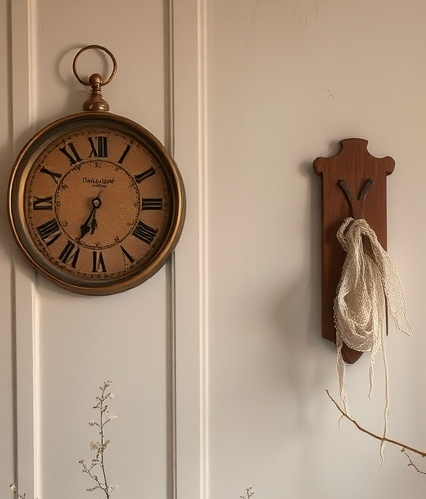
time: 6:34
